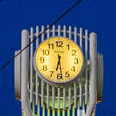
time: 6:28
